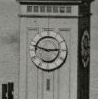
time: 2:48
